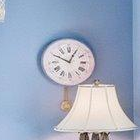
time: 12:49
